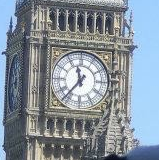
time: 11:36
